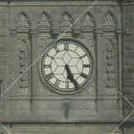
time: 5:25
